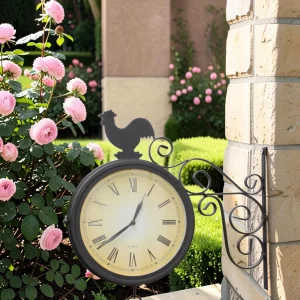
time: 12:38
